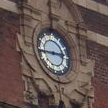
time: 2:44
